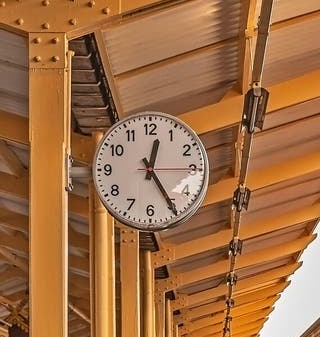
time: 12:24
